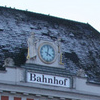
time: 4:02
